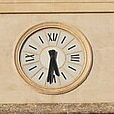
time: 5:31
